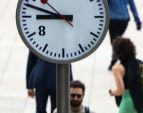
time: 8:47
